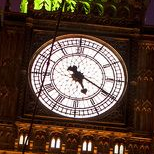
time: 5:19
